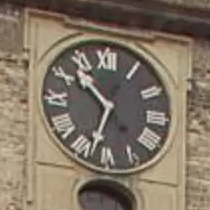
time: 10:33
